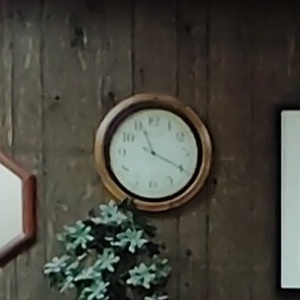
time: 11:19
